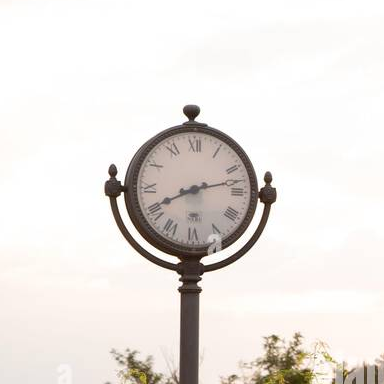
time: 8:12
